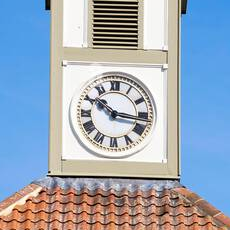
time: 10:16
